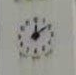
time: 12:09
